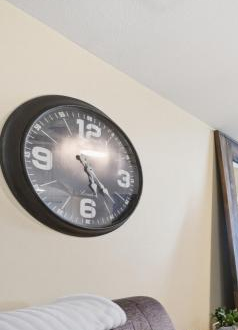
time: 5:22
